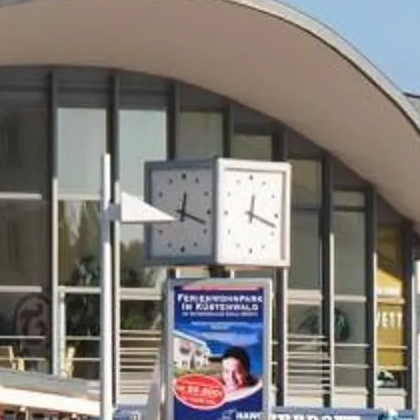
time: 12:18
